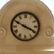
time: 3:49
